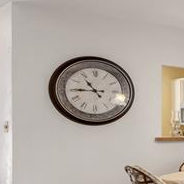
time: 10:45
